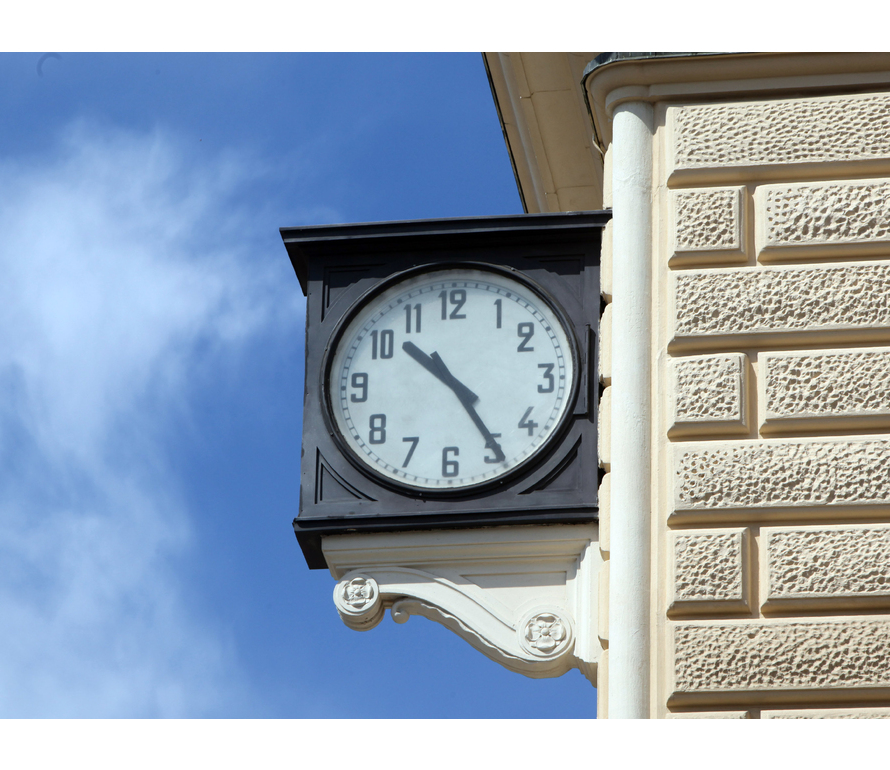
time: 10:24
